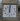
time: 12:00
